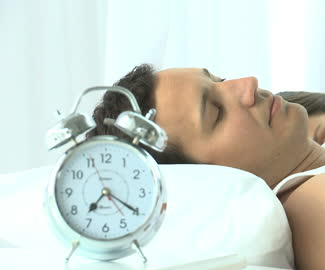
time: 7:20
